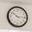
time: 10:15
